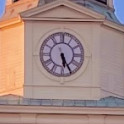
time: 5:25
